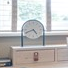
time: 4:41
